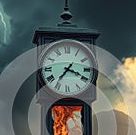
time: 7:18
